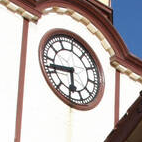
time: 5:42
